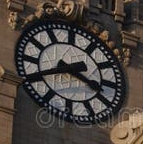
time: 3:40
